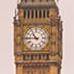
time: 10:45
